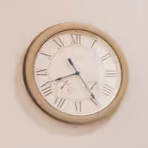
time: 8:24
